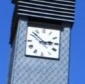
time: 2:52
